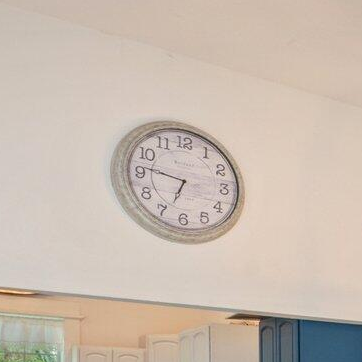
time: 6:46
